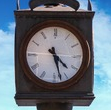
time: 4:27
